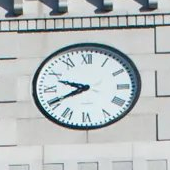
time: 9:40
